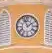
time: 1:56
